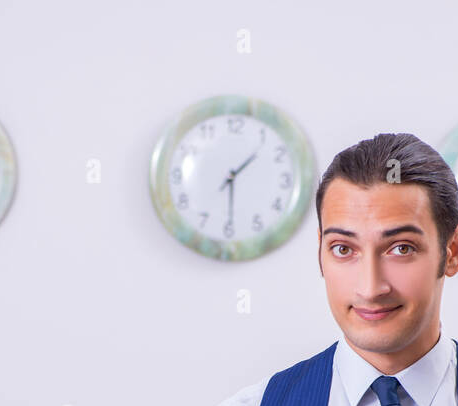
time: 1:29
